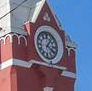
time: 4:06
